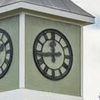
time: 11:43
